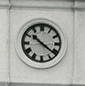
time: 10:21
